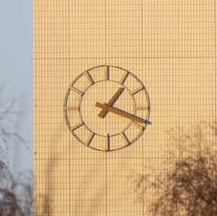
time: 1:18
